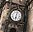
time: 6:02
